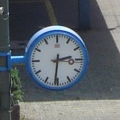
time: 2:31
